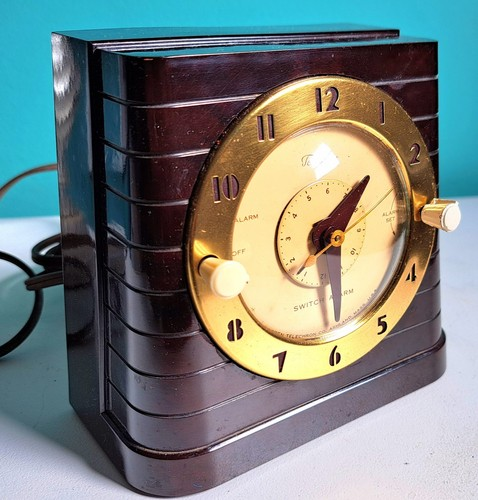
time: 1:29
